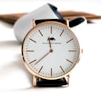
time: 11:38
